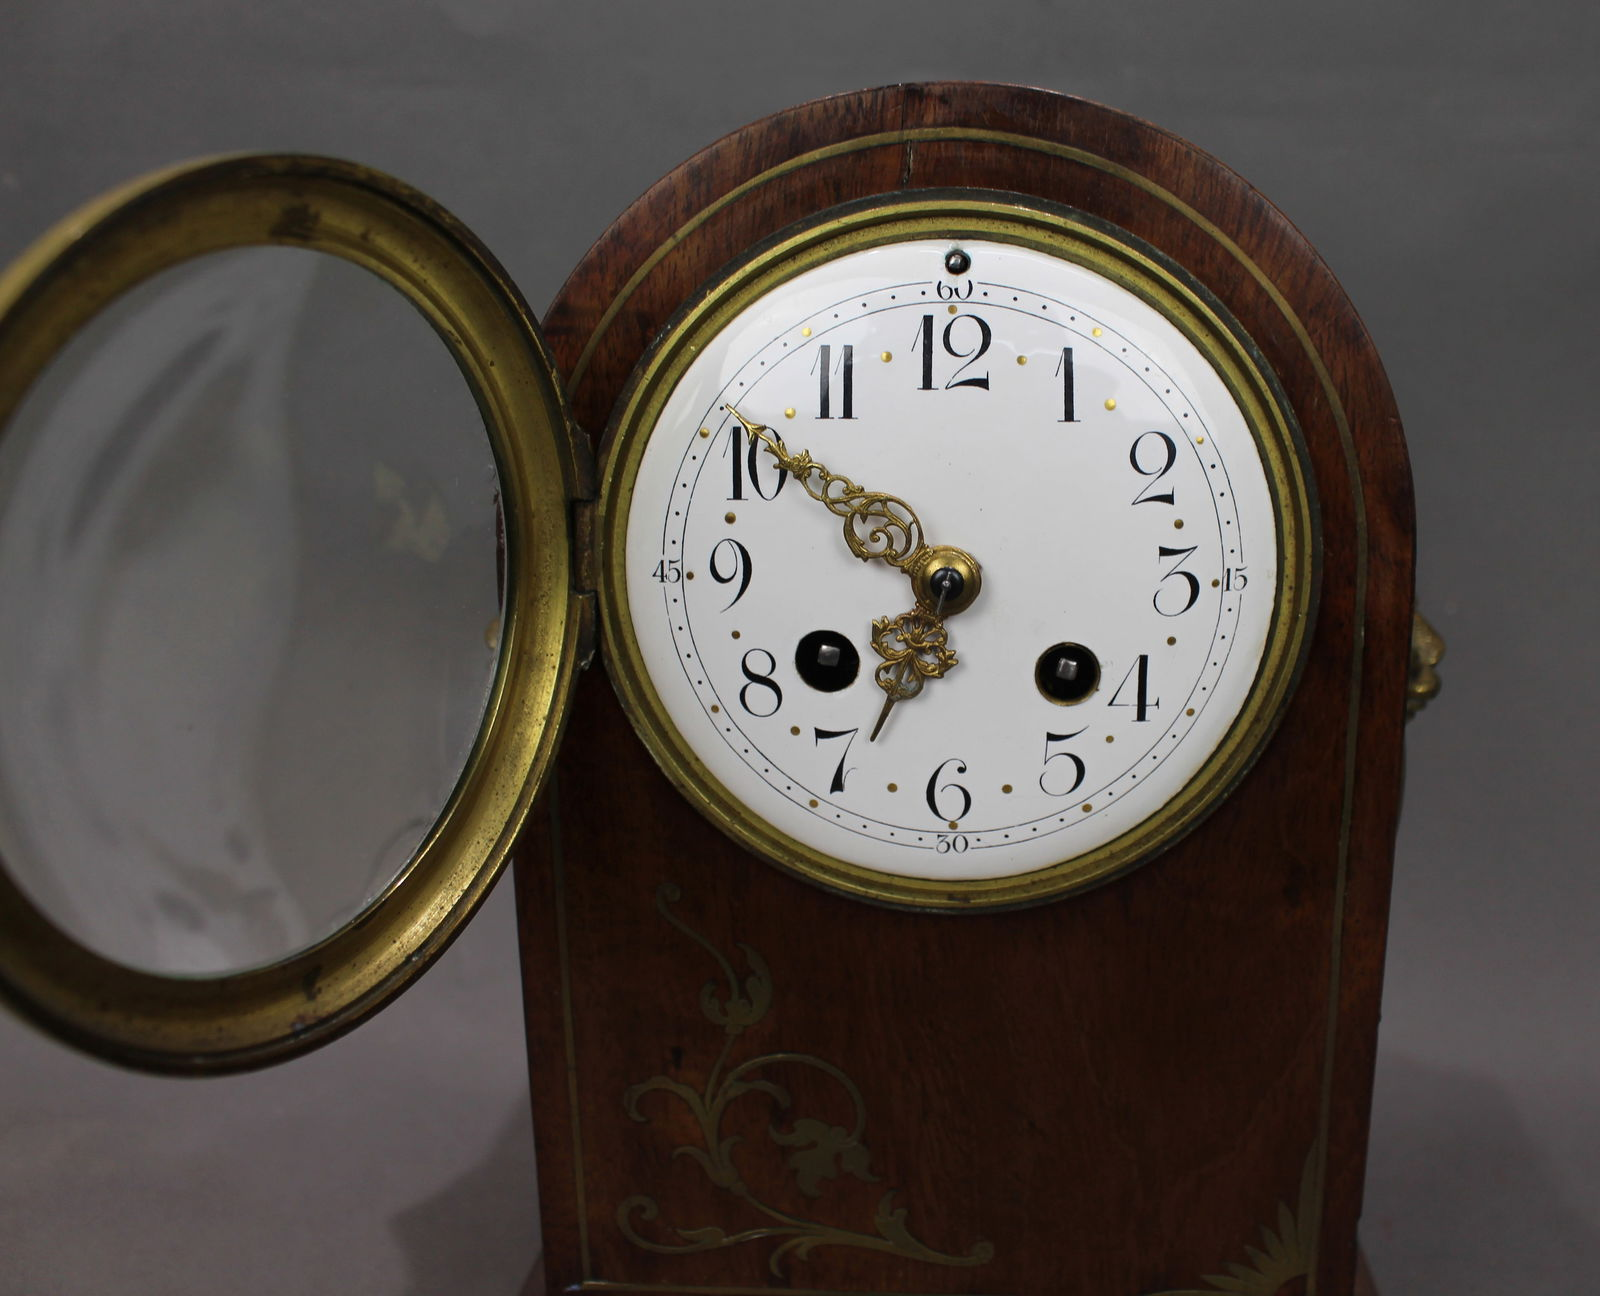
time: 6:50
